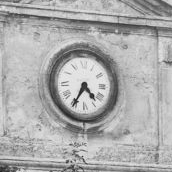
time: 4:35
